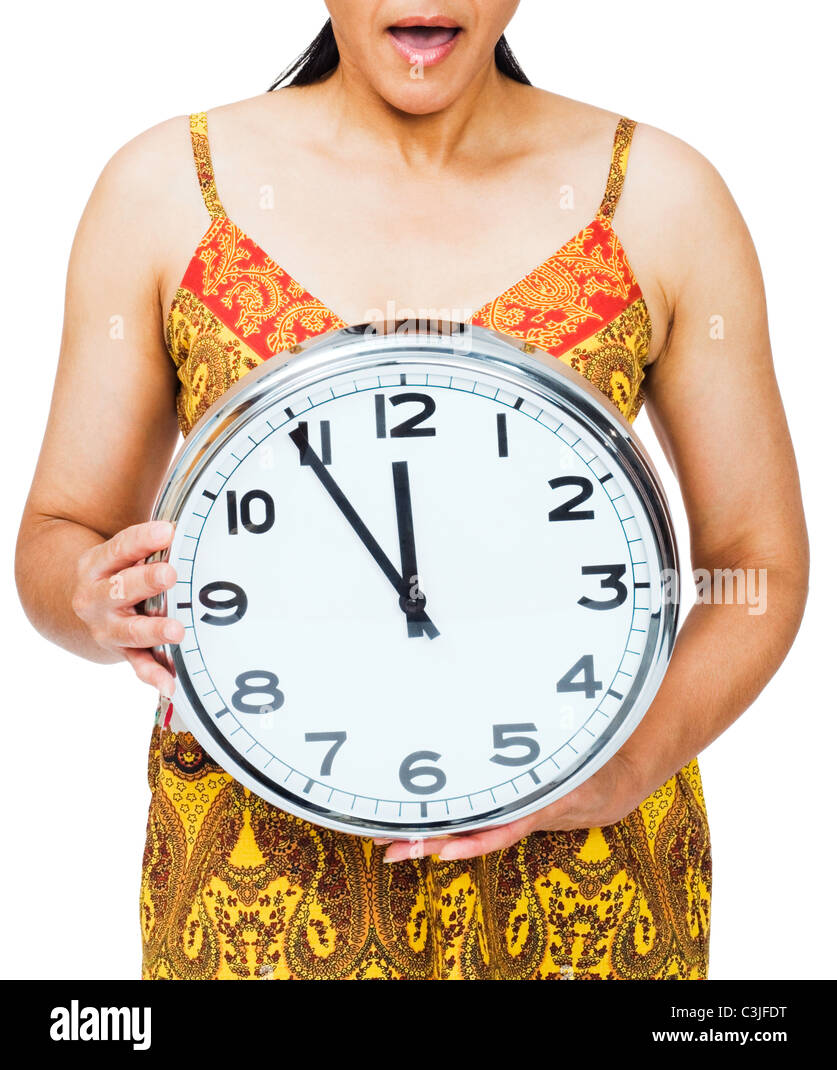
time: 11:54
